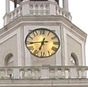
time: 6:44
